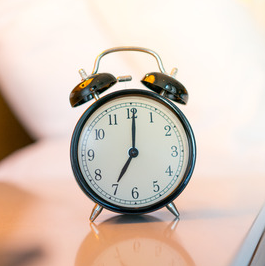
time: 7:00
